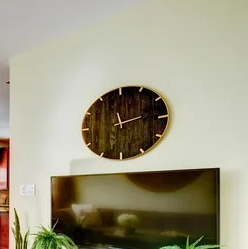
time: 11:13
